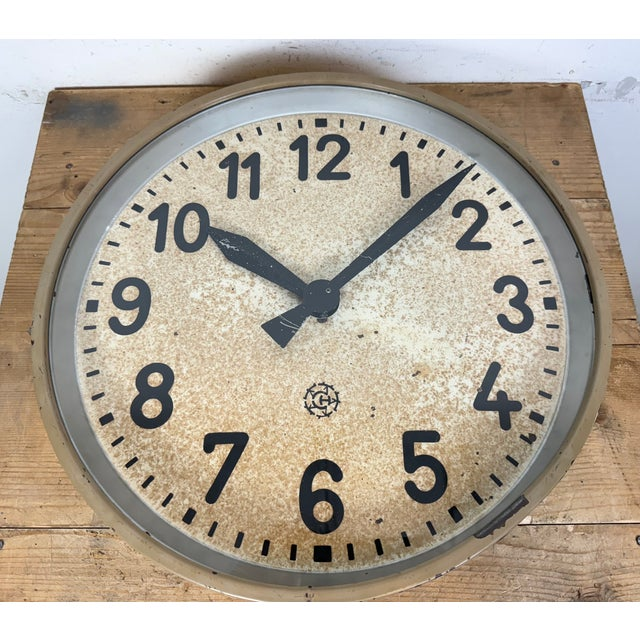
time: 10:07
